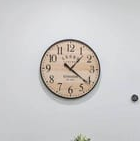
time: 1:21
